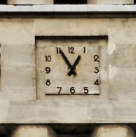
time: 12:55
